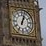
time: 1:02
